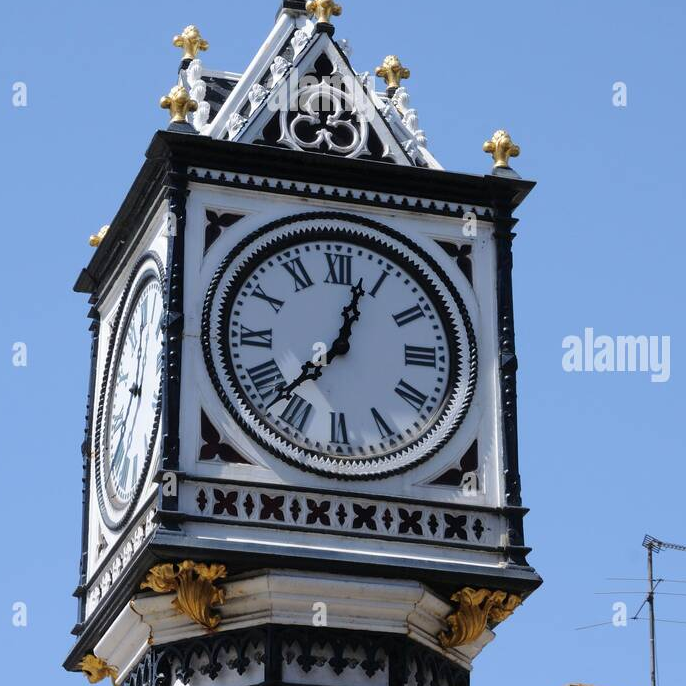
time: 12:37
